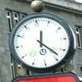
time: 12:23
